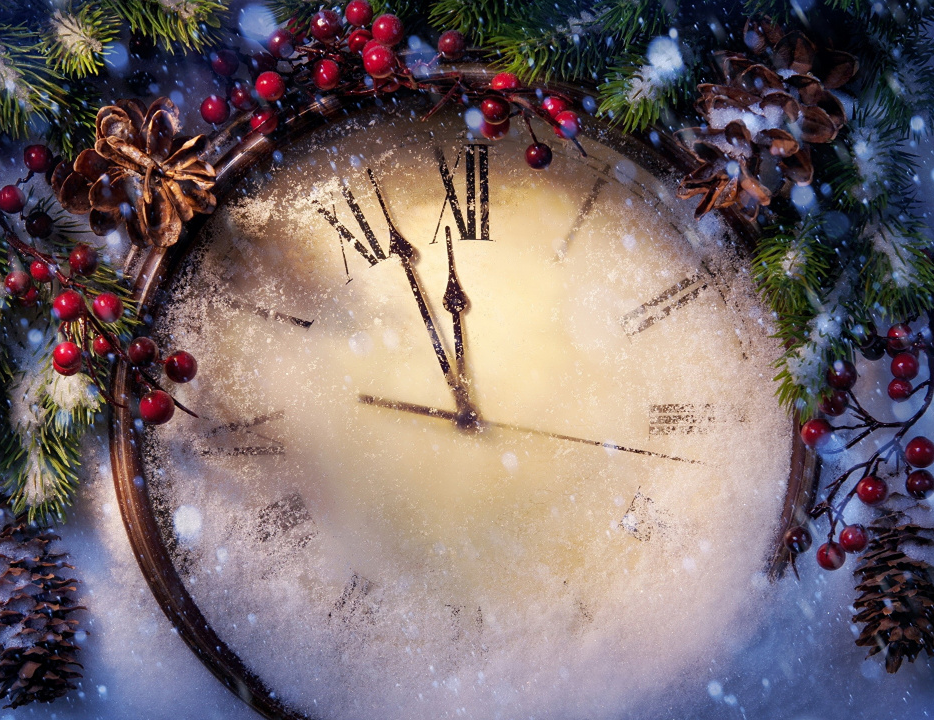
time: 11:56
